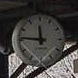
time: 11:46
